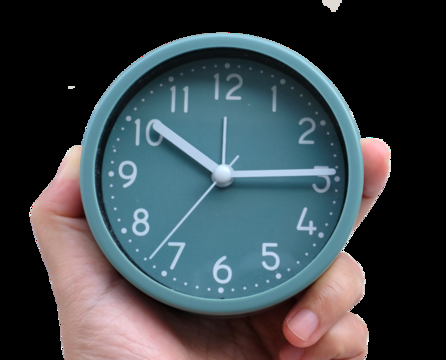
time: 10:14
